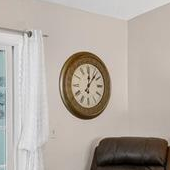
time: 12:06
